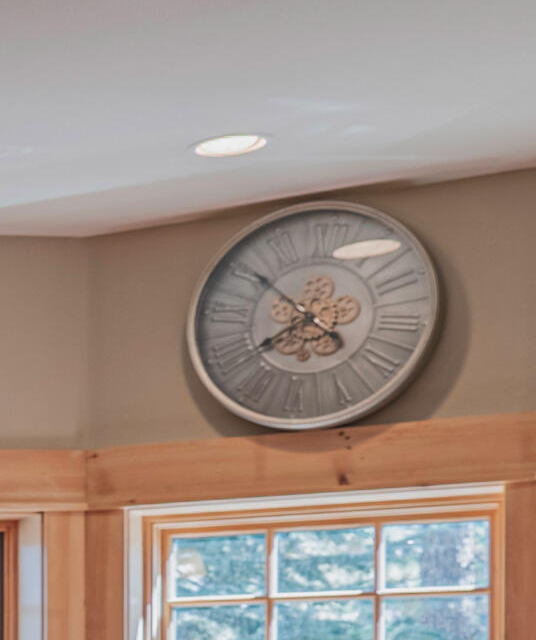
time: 7:50
